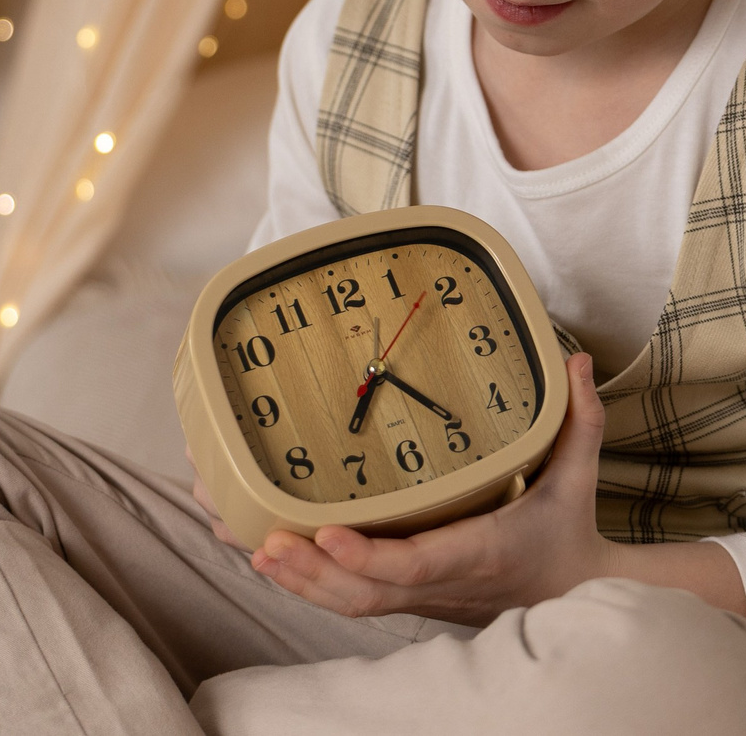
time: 7:24
